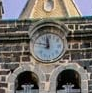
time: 11:47
